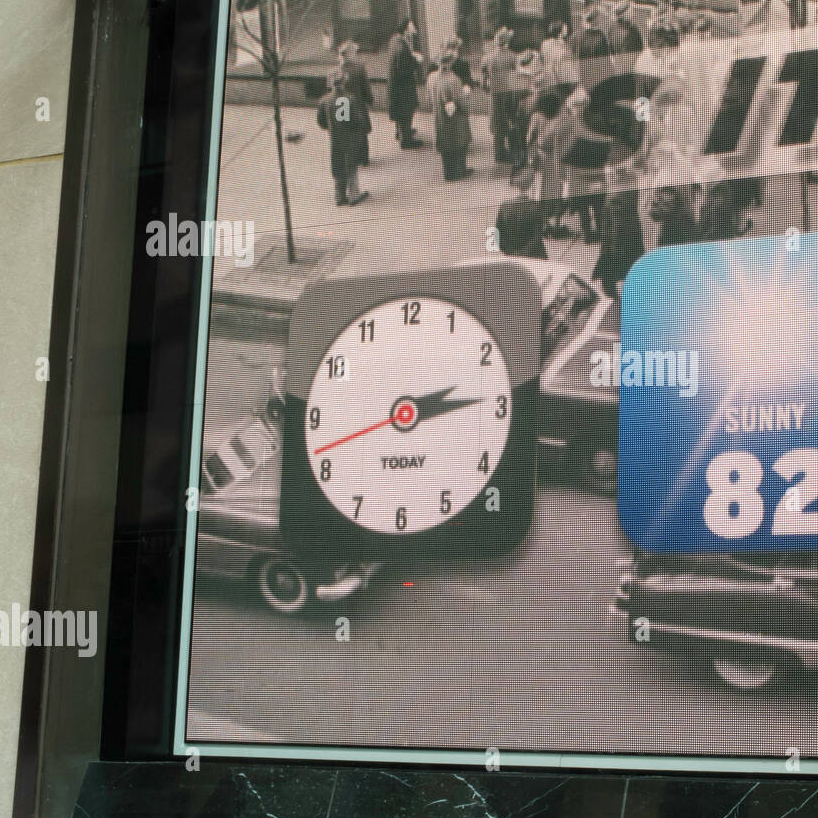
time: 2:13
